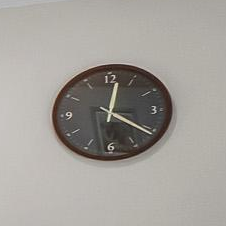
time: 12:20
